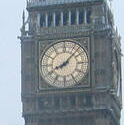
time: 8:07
